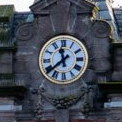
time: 11:38
